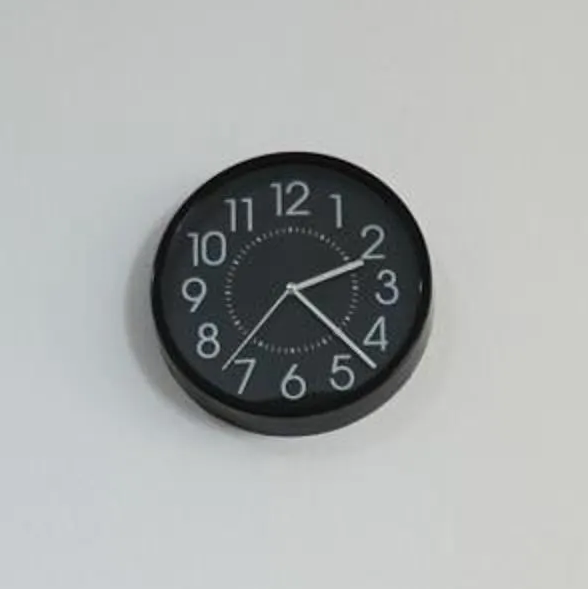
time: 2:22
